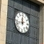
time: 11:42
